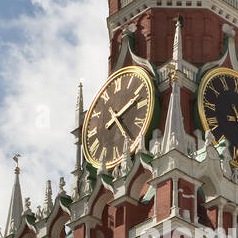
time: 2:23
